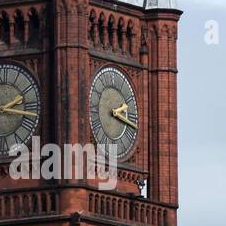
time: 2:17
